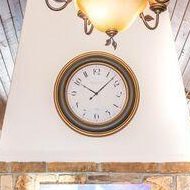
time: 10:07
